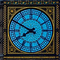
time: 7:49
